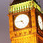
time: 4:45
